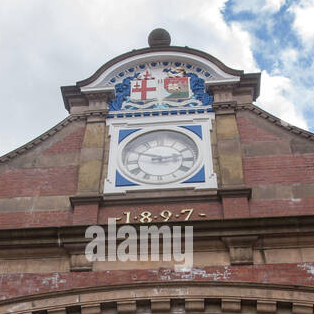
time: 2:48
